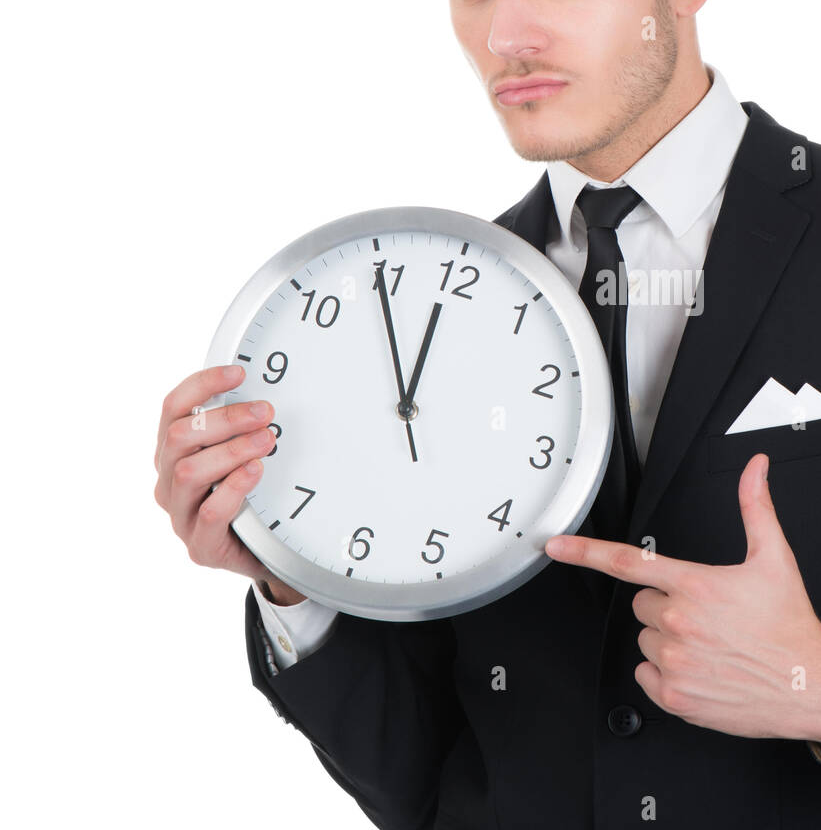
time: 11:54
